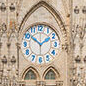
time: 1:51
